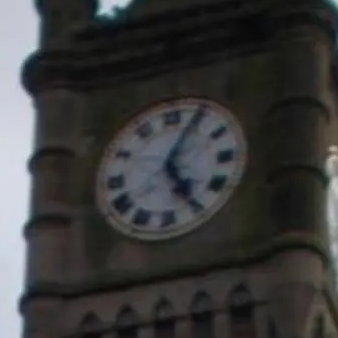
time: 5:04
